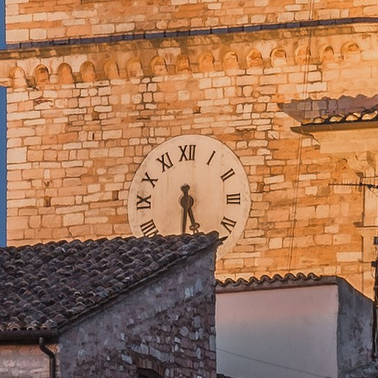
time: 5:30
